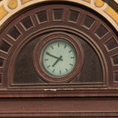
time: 7:49
